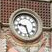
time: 9:27
